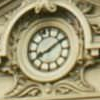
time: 8:09
